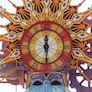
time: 12:29
